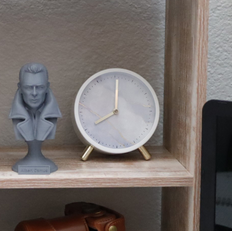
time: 8:00
